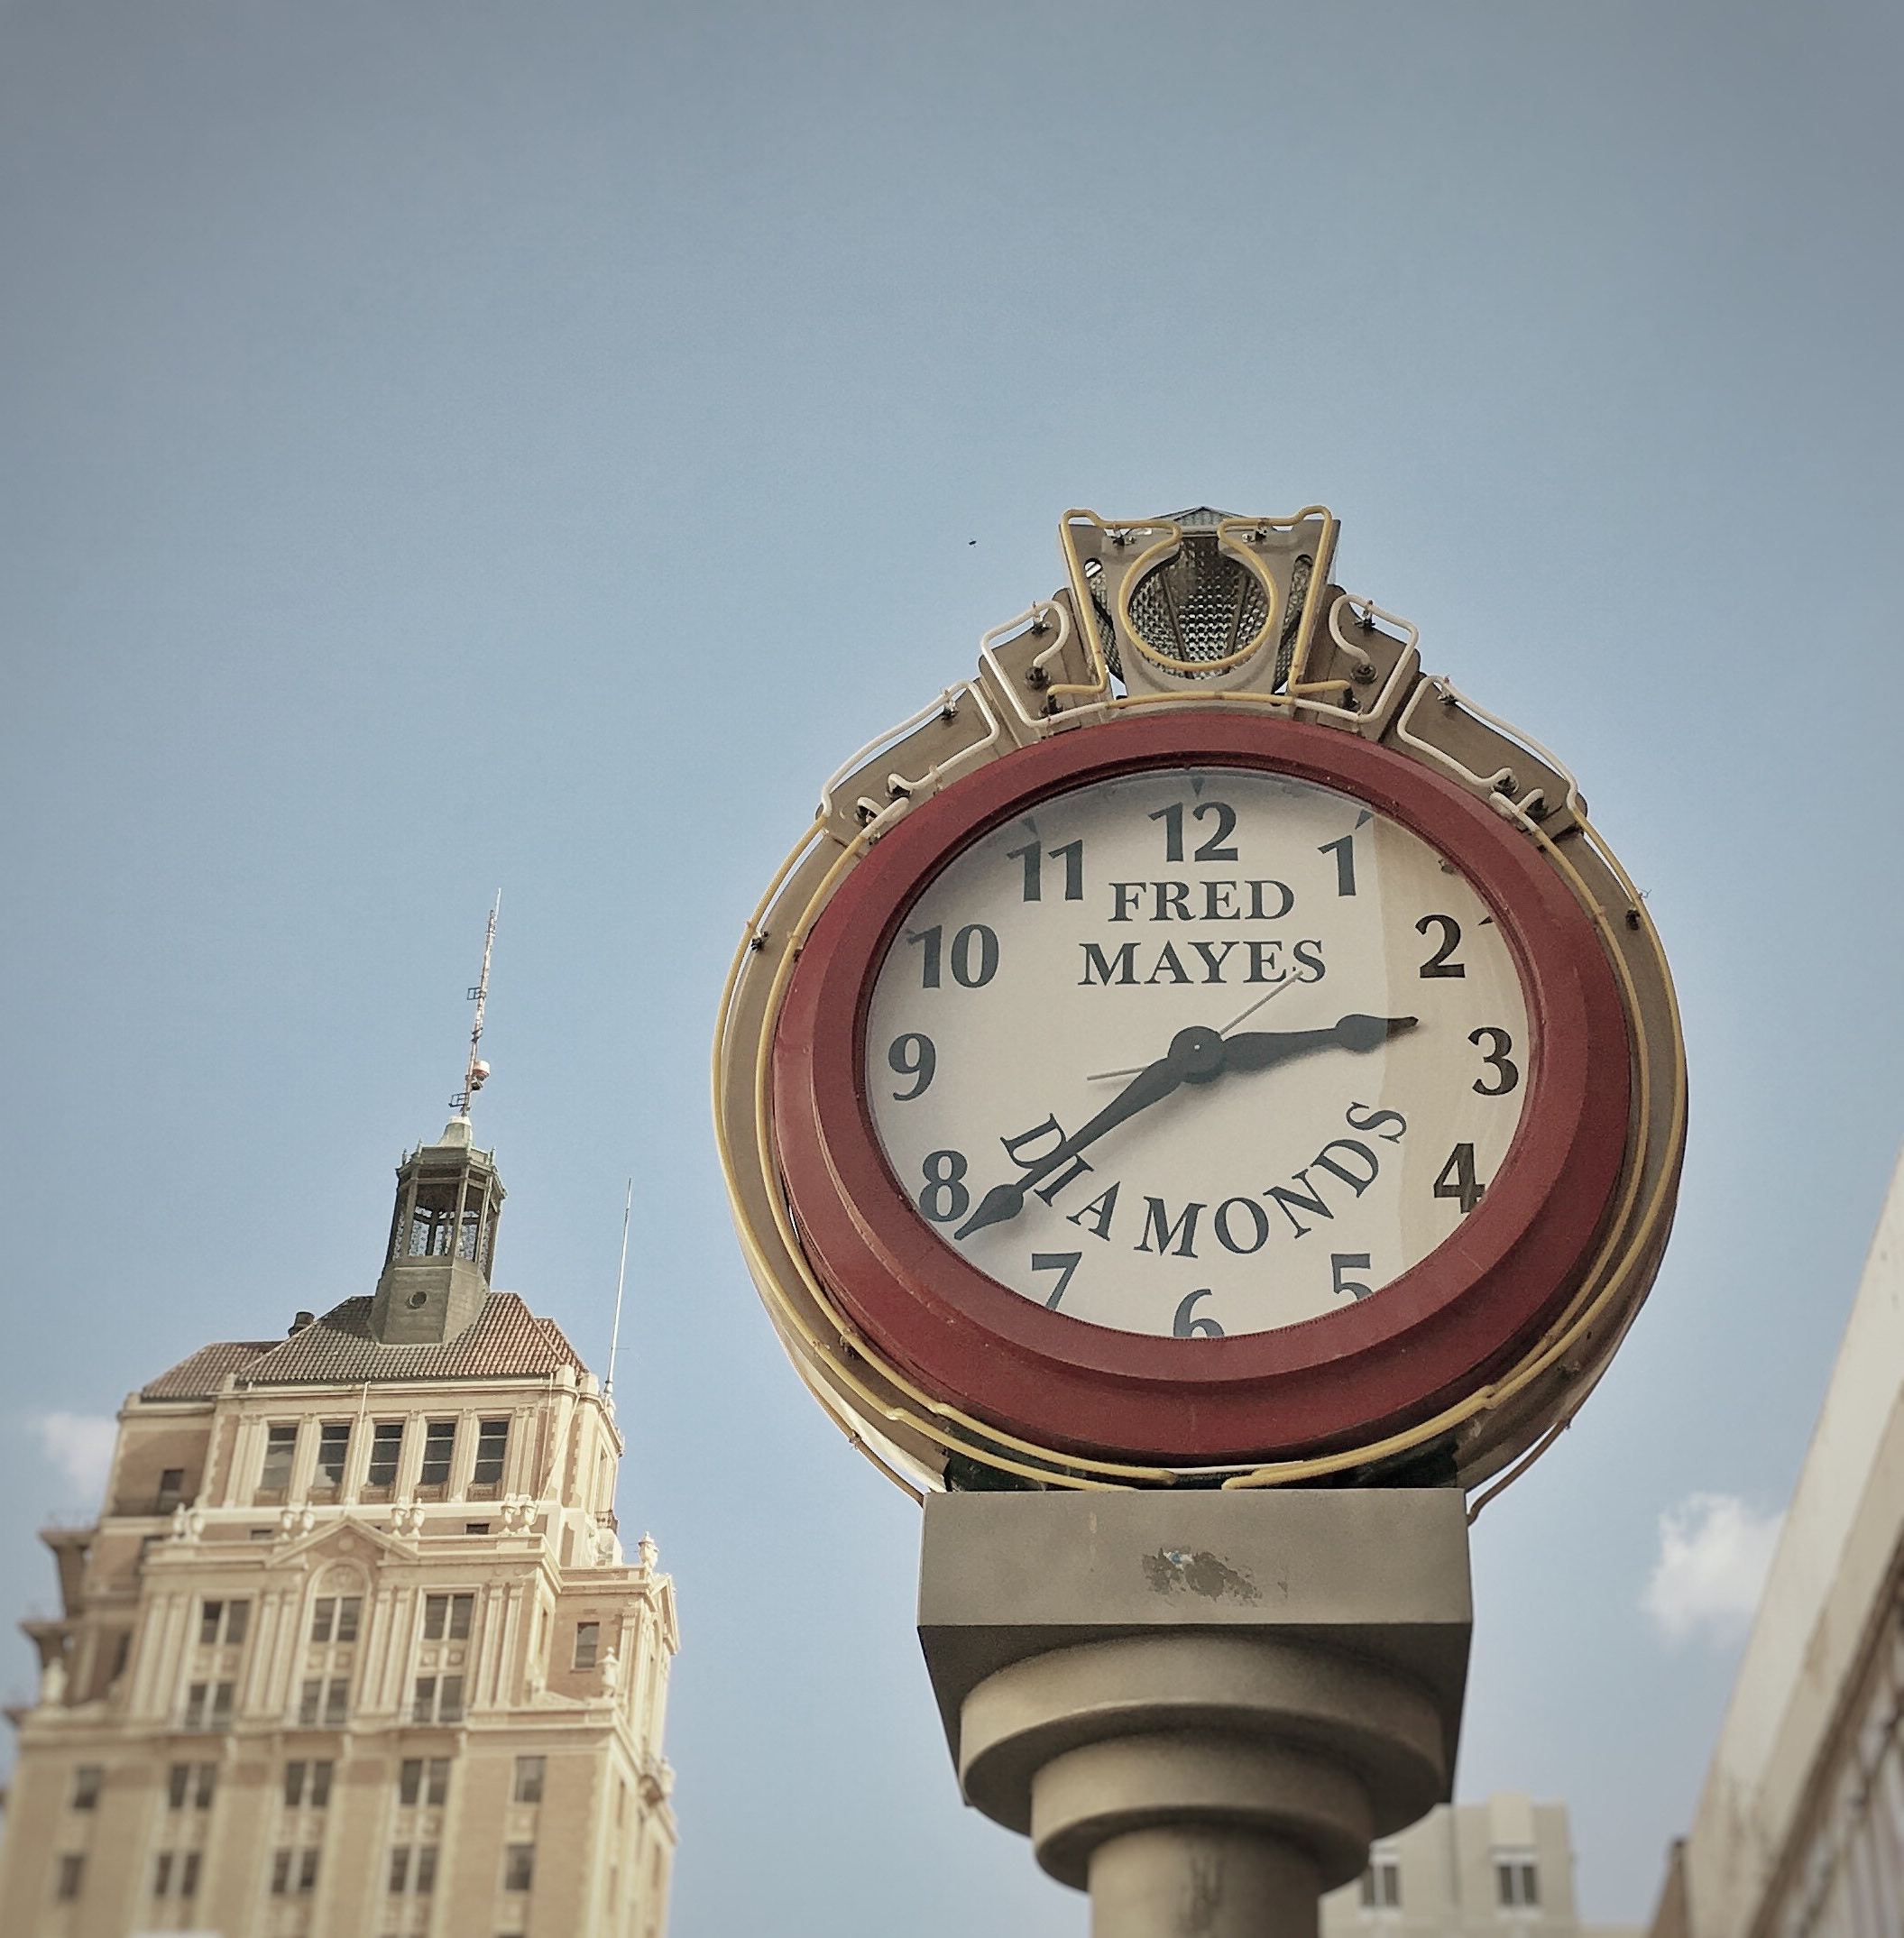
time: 2:38
